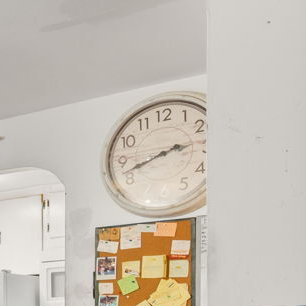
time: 2:42
